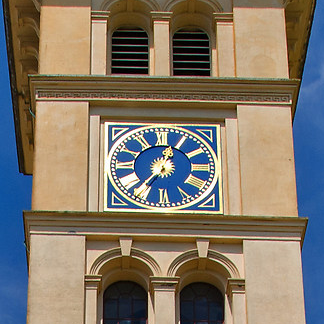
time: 12:36
